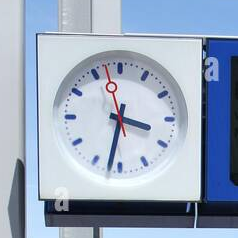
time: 3:32
